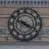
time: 3:48
